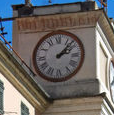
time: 2:07
